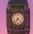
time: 7:23
